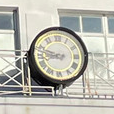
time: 8:47
